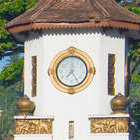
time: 7:24
